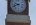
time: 9:41
